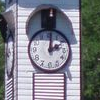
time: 2:01
